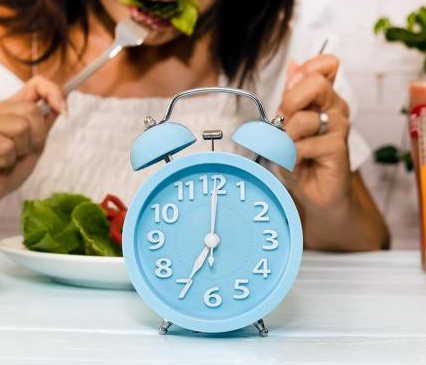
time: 7:00
